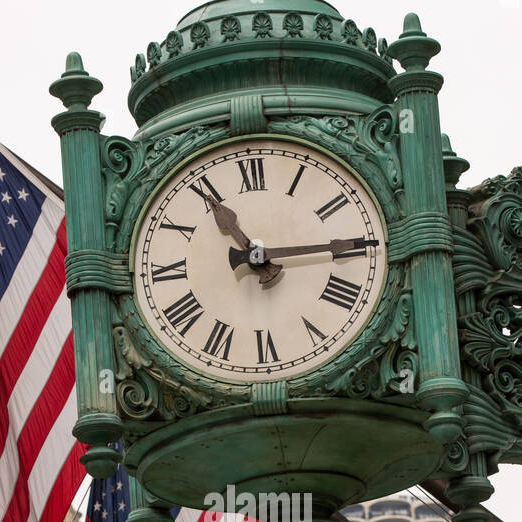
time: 11:14
